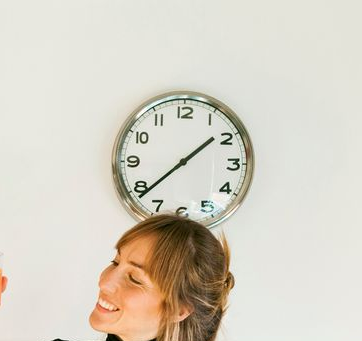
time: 1:38
